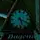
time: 5:18
